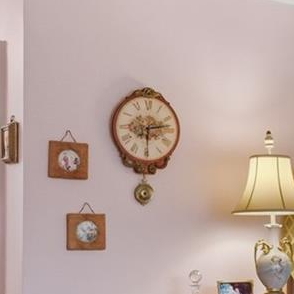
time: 6:13
